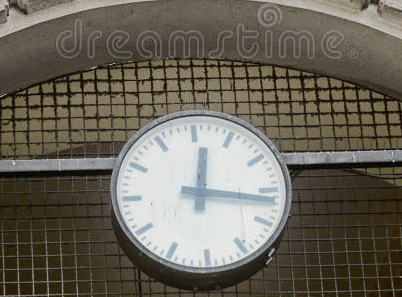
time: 12:16
